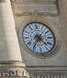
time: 4:35
